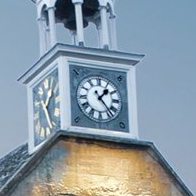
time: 1:23
